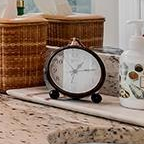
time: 1:14
